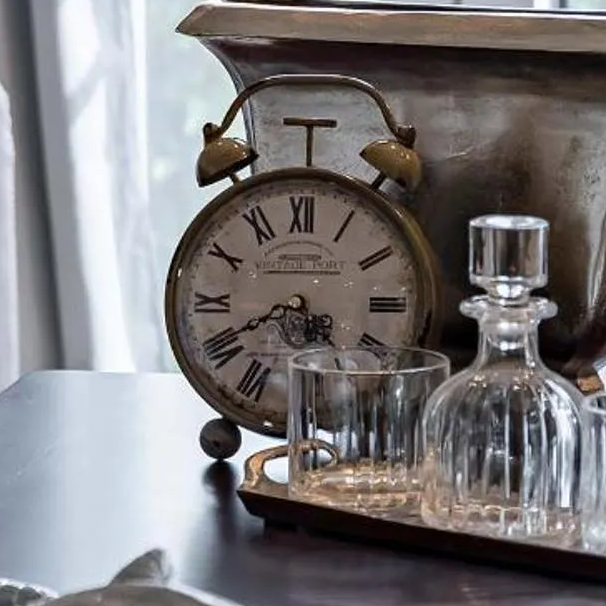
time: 4:40
